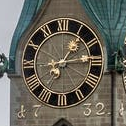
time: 1:13
